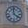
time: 3:58
